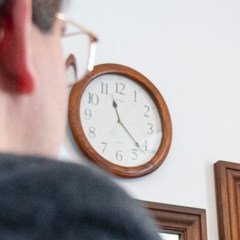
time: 11:21
